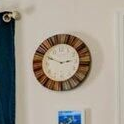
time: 2:48
